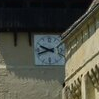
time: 9:42
